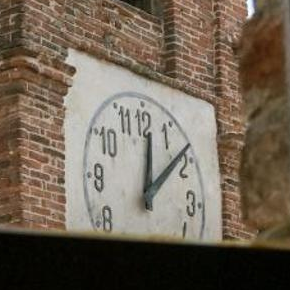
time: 12:08
